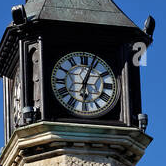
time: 6:03
